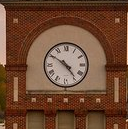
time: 4:50
